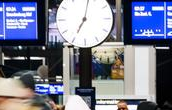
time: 7:02
